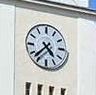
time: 4:37
